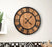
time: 4:07
